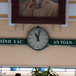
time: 11:02
